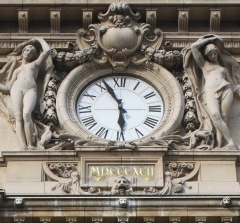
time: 5:55
